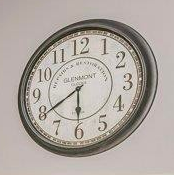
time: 5:39
